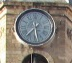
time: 7:28
